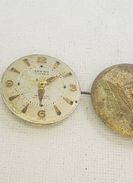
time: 6:09
